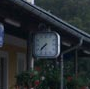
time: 7:37
